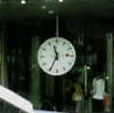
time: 11:34
